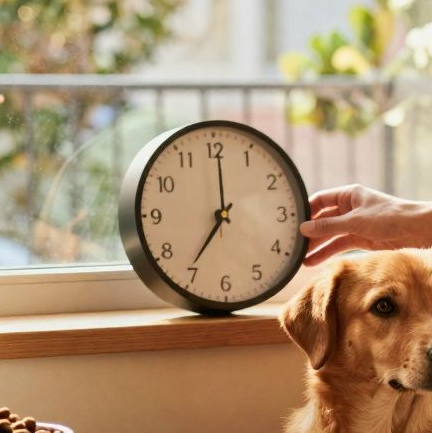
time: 7:00
